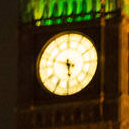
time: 5:47
